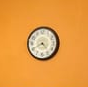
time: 4:40
